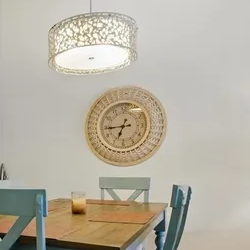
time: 6:44
